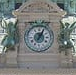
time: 1:04
